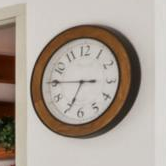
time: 6:45
